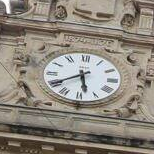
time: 5:40
